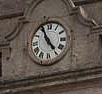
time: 4:55
